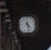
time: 4:28
